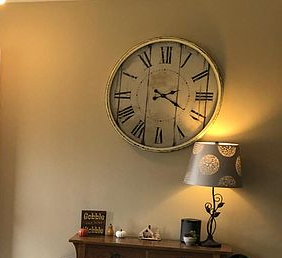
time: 2:19
